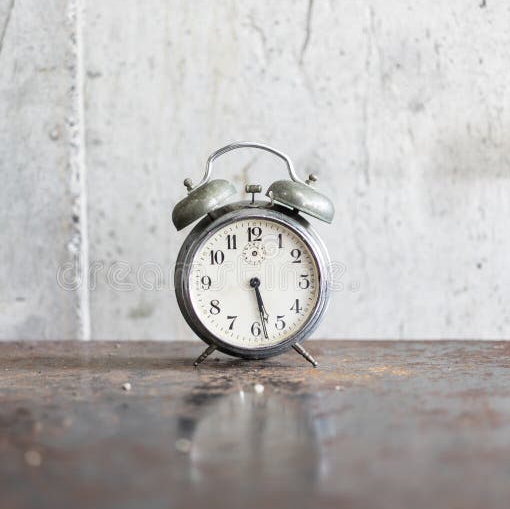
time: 5:28
